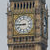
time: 8:45
